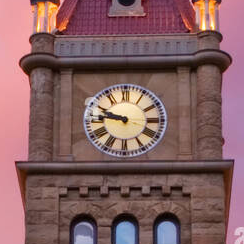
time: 9:45
